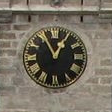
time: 12:55
